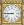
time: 8:45
